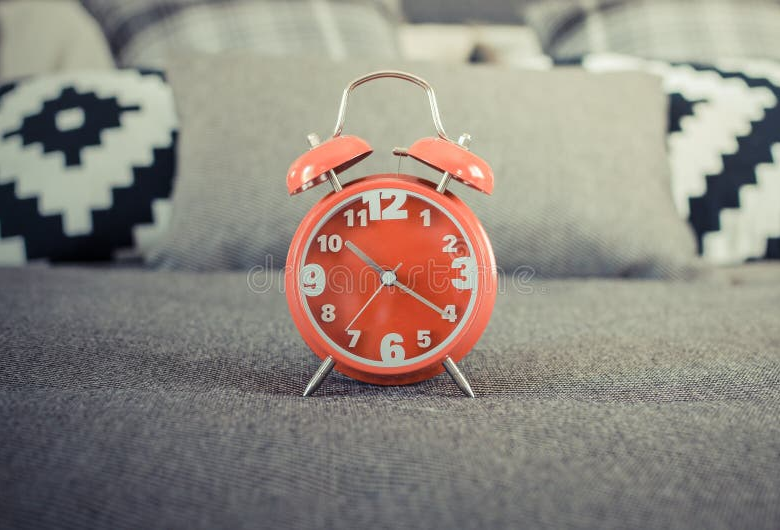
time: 10:20
